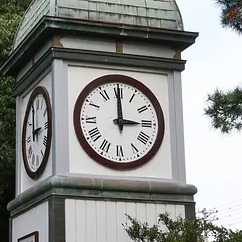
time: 2:59
